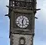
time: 12:28
